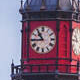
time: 10:44
